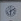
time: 6:10
